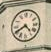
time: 4:40
